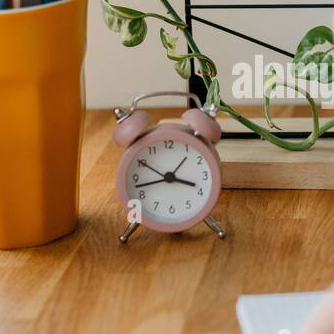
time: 3:42
